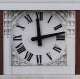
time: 12:12
